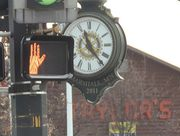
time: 11:23
